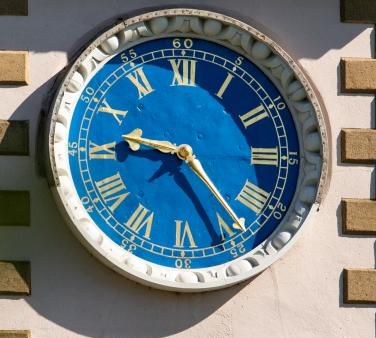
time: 9:23
